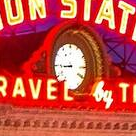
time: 8:44
